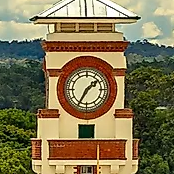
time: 1:34
